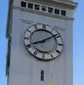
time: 8:09
